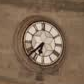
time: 6:38
